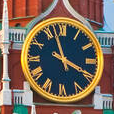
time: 3:57
